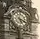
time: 5:18
